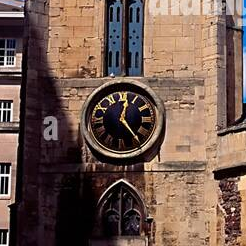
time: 12:23
